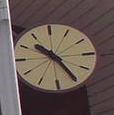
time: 10:24
